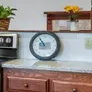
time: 8:54
